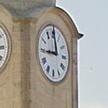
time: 8:59
